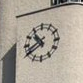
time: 10:39
